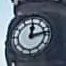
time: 12:12
